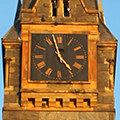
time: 4:57
